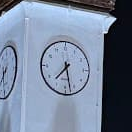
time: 7:28
